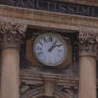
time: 1:09
